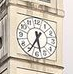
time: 5:34
